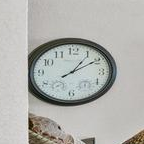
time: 1:09
